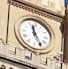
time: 11:24
